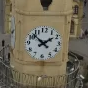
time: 1:52
